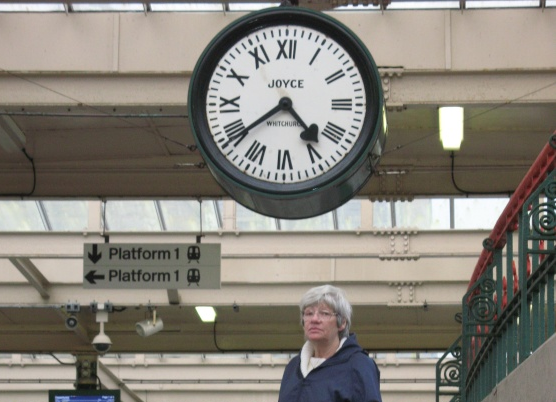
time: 4:38
